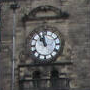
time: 10:58
